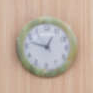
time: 12:47
